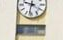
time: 9:32
